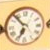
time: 6:53
